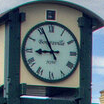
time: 8:55
